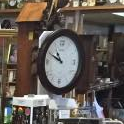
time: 10:49
